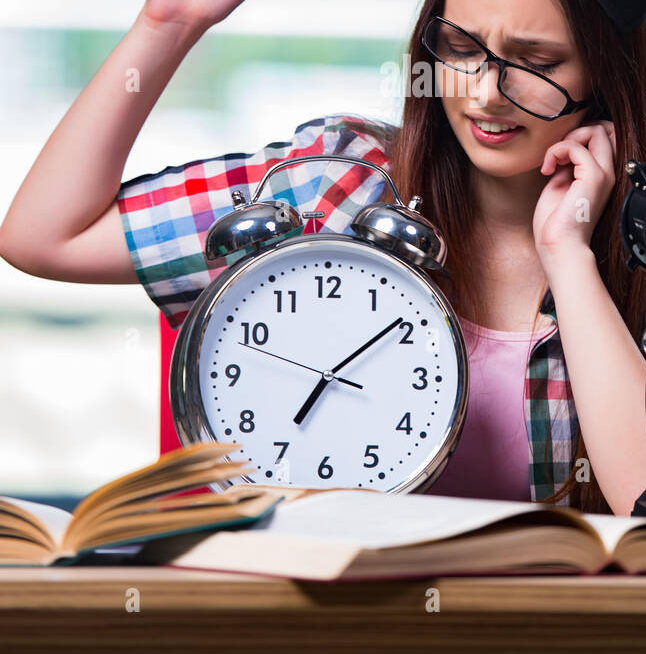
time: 7:08
